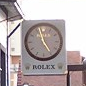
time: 4:57
